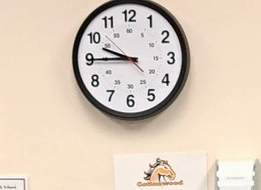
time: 9:44
